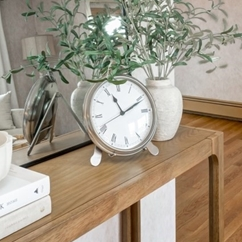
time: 11:11
